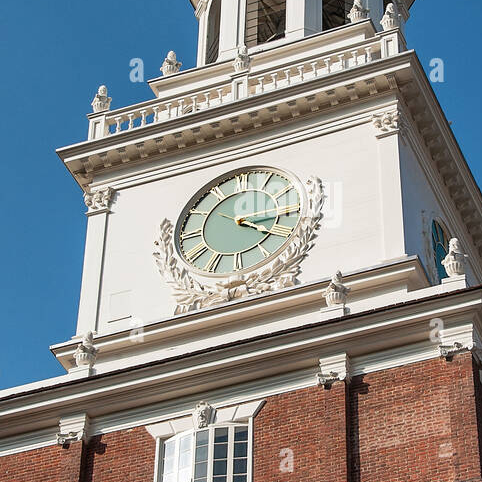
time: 4:15
